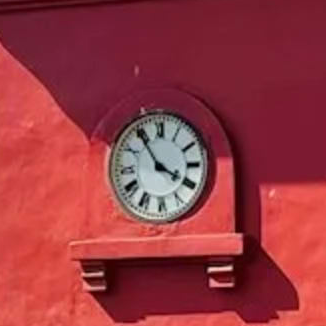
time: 3:54
